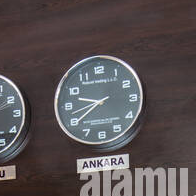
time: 9:39
